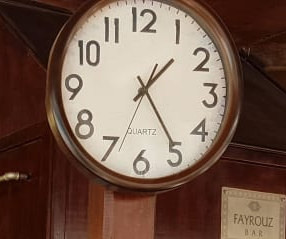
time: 1:24
